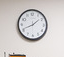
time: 1:41
